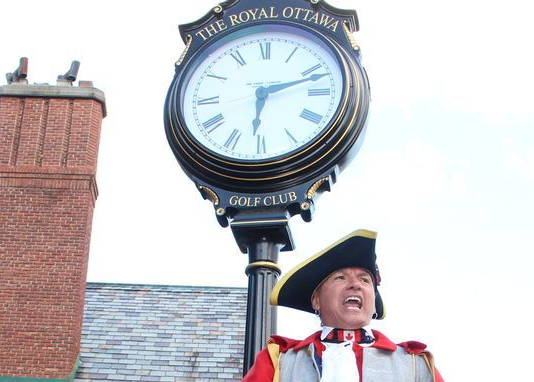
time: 6:12
